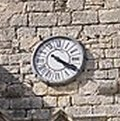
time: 4:19
